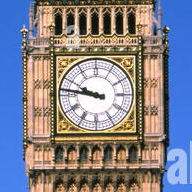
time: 9:46
